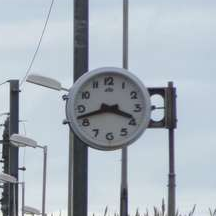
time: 3:42
